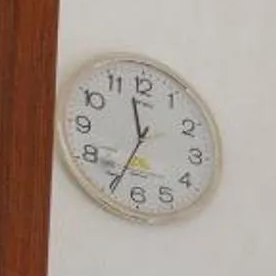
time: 11:34
